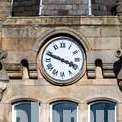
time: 3:48
